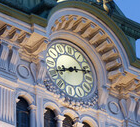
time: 8:12
